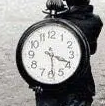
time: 3:29
